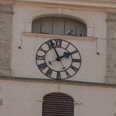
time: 1:56
